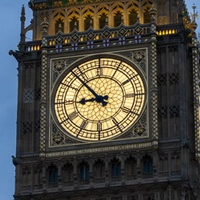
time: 8:52
